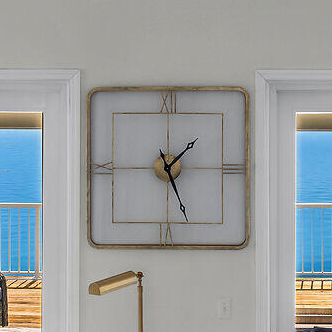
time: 1:26
